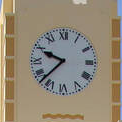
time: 9:37
